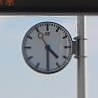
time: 4:29
